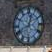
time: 12:41
